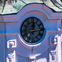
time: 12:14
